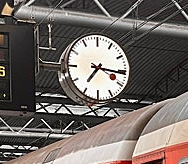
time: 7:16
